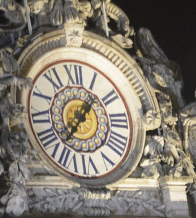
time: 1:36
